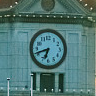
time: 6:41
